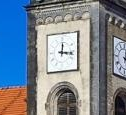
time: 12:16
